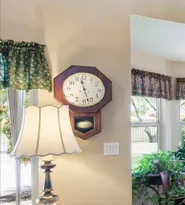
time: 11:27
